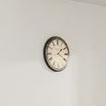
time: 1:20
